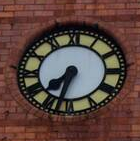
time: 7:32
